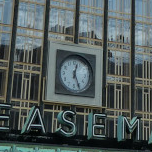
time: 12:26
